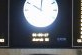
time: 10:00
